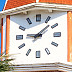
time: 9:08
